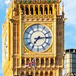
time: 7:14
